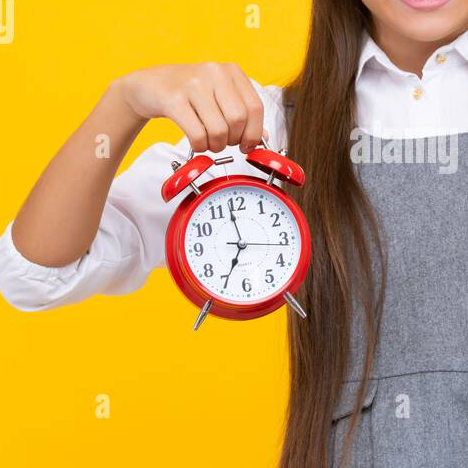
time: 6:58
